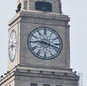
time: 9:17
